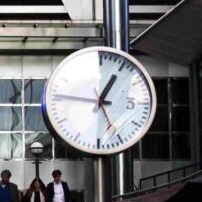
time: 12:46
